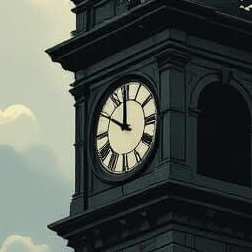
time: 11:50
